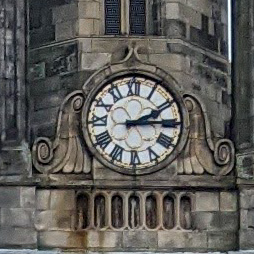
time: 2:14
